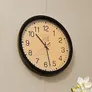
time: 10:27
